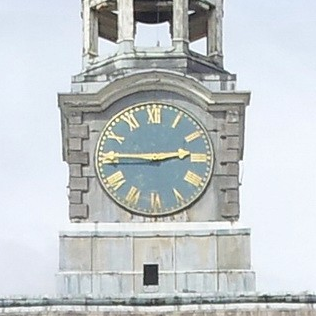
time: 2:45
